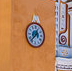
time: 12:37
